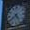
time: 4:39
